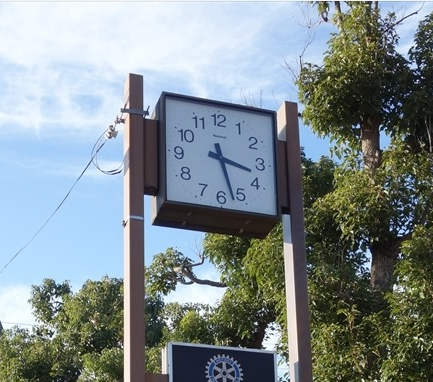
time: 3:27
